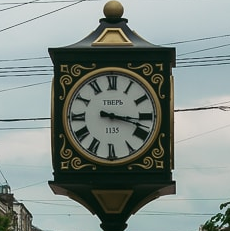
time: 3:17
